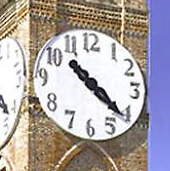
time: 10:21
